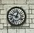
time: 12:47
